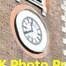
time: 11:40
